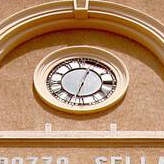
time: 12:32
